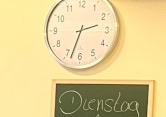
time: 2:33
